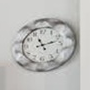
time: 11:12
